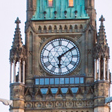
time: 6:08
